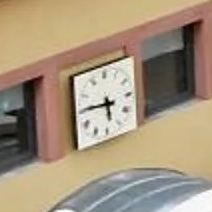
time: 5:45
